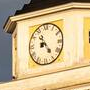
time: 8:23
